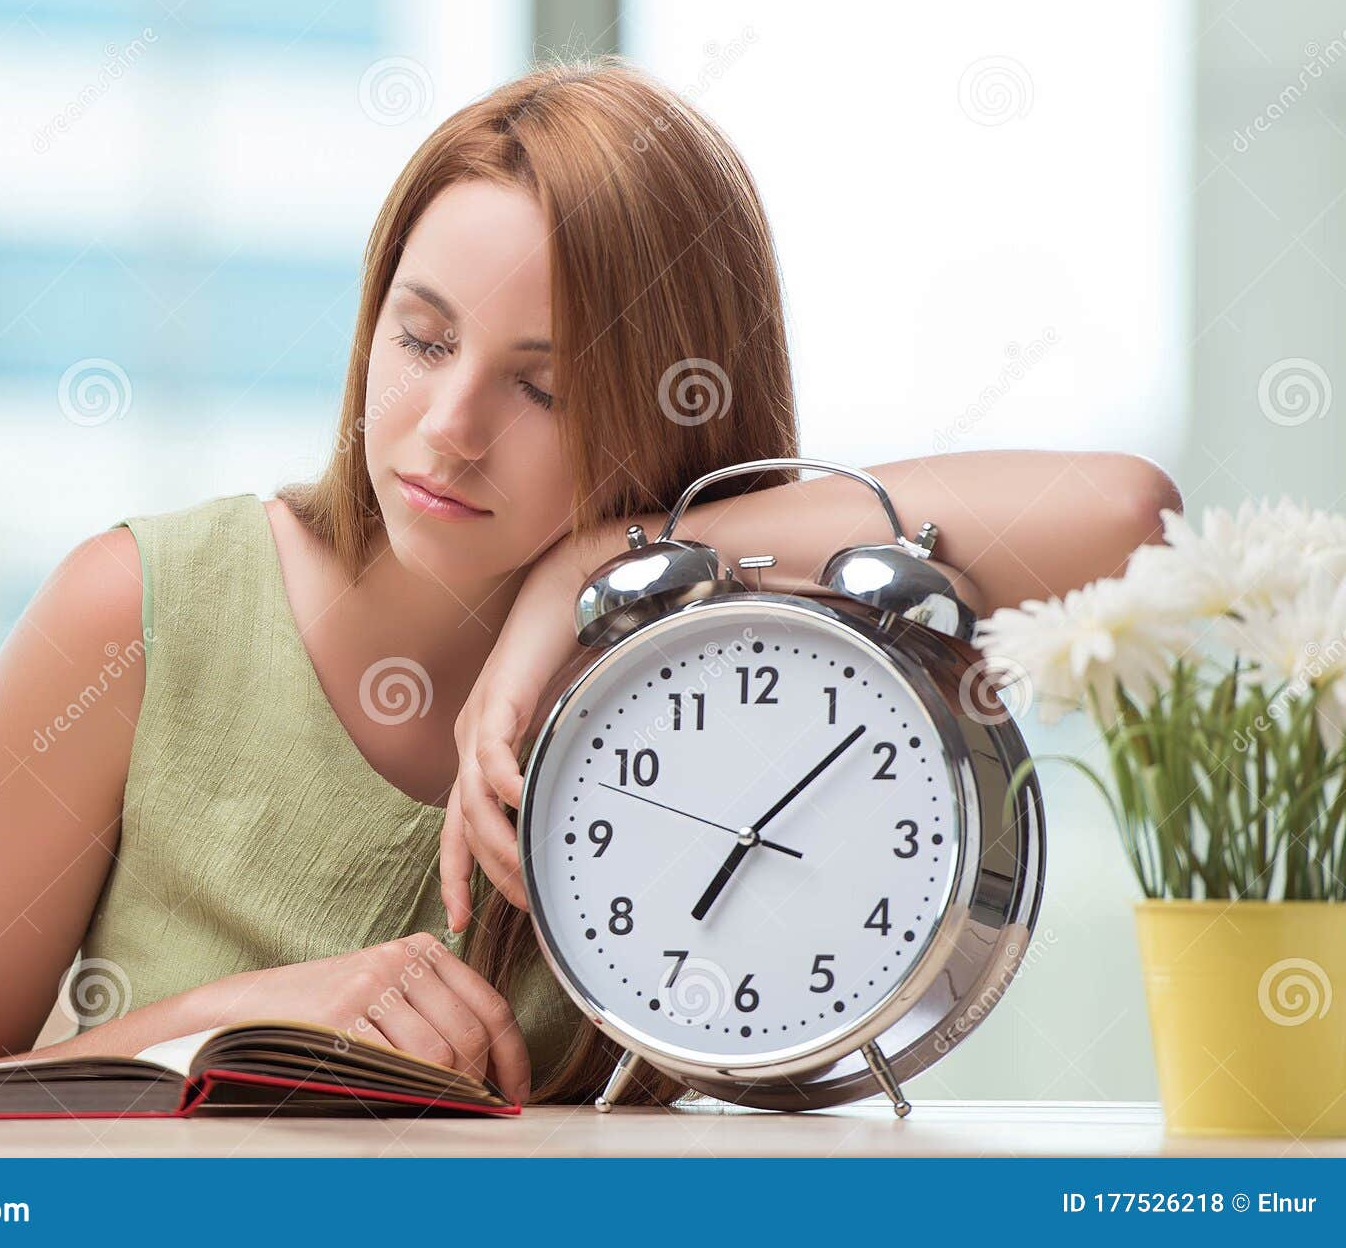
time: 7:07
